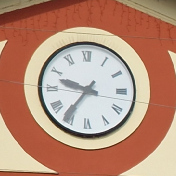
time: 9:36
